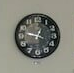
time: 12:47
